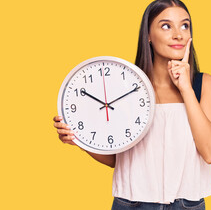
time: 10:10
